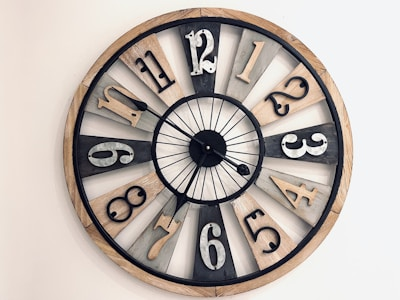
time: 6:50
